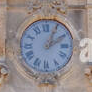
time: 2:04
